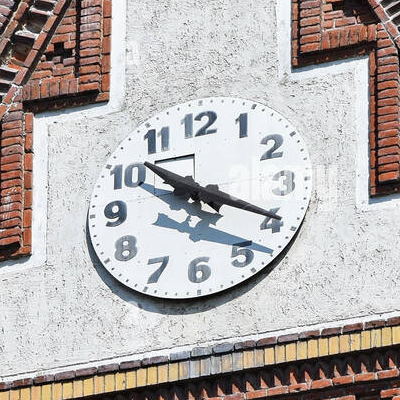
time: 10:19
